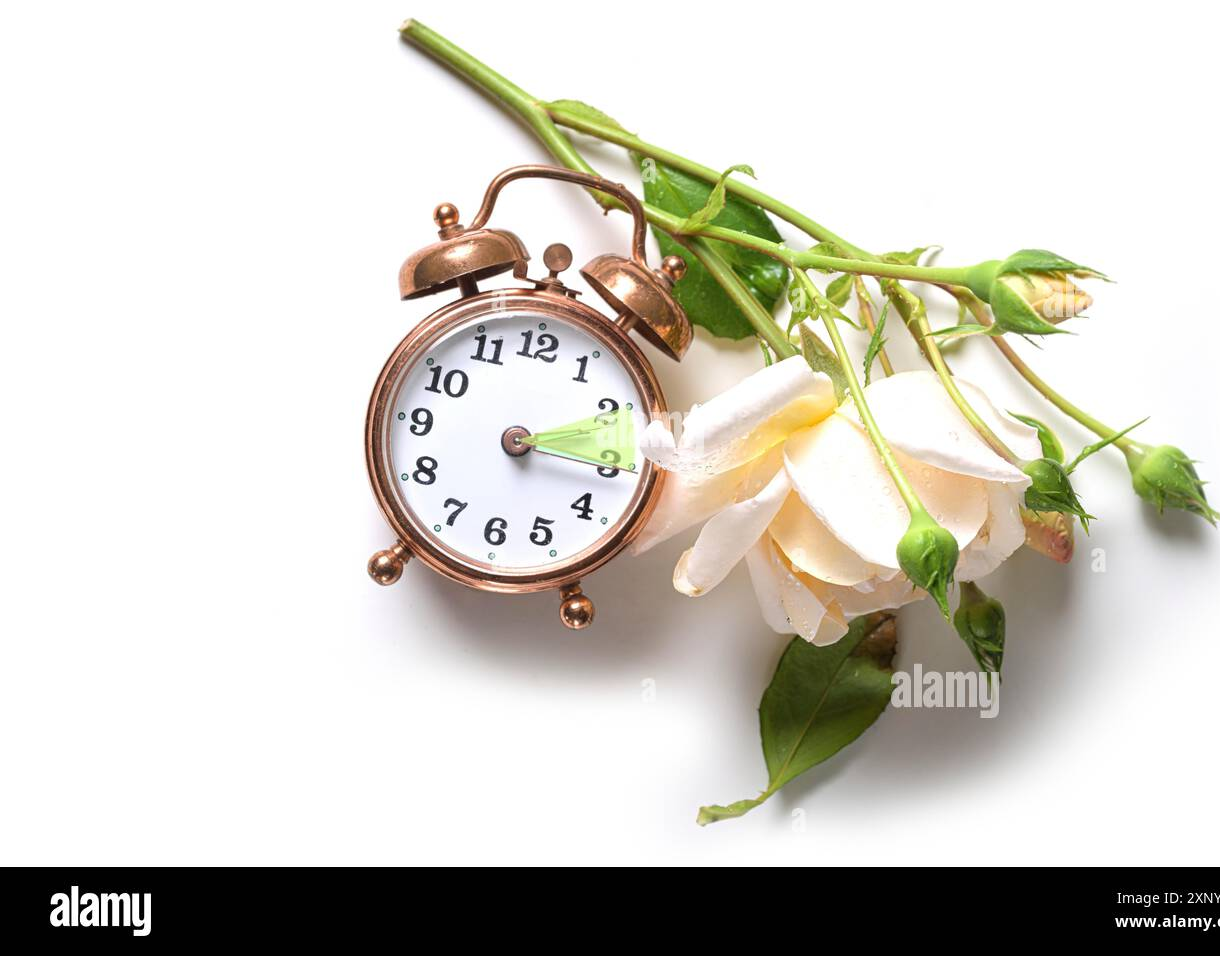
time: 3:10
